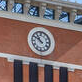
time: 10:50
